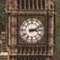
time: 3:11
